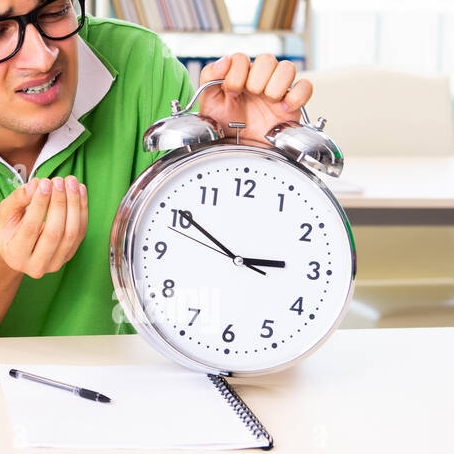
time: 2:50
